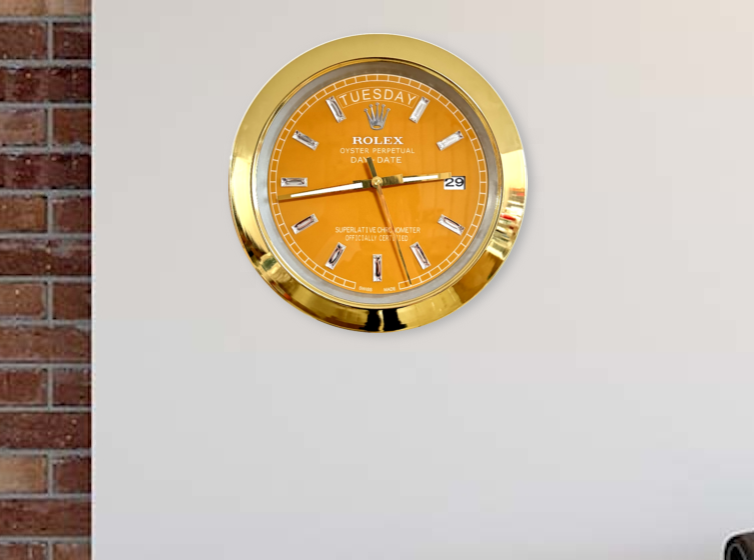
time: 2:43
